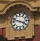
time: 3:47
